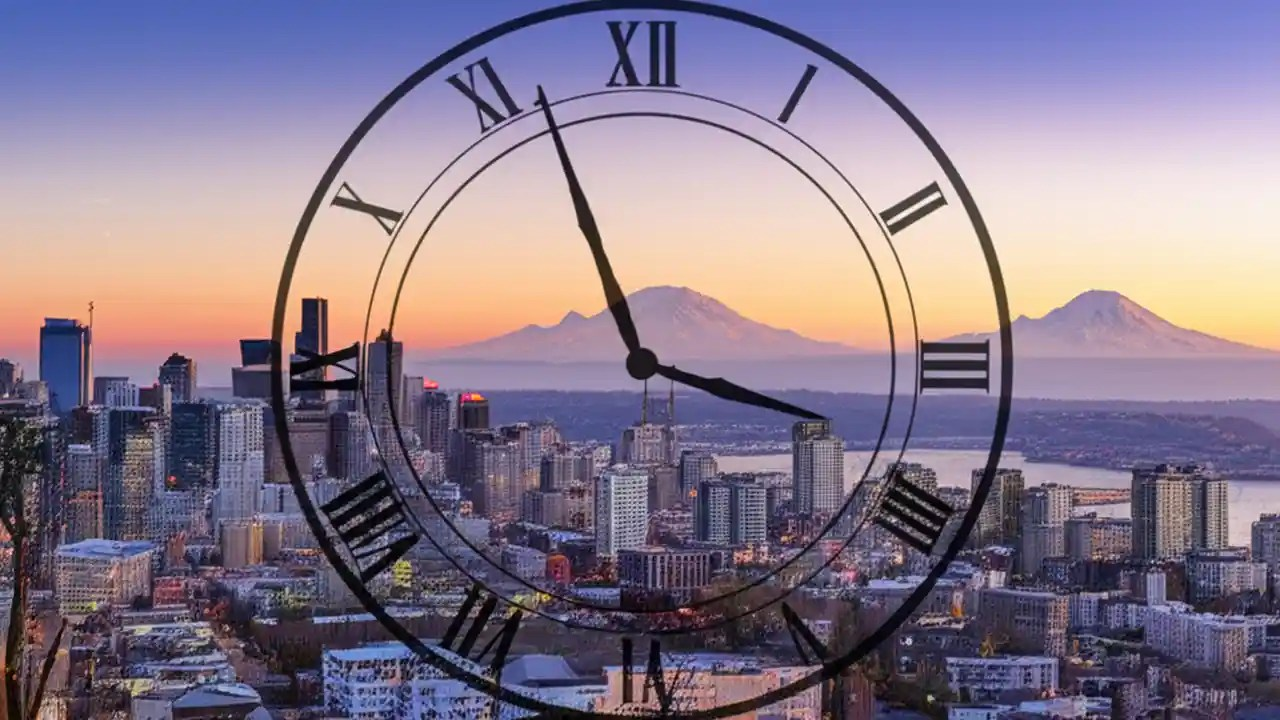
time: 3:56
